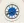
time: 4:41
